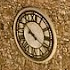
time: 10:20
